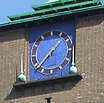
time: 1:37
